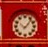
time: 10:06
